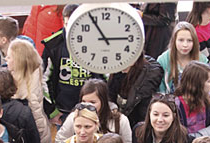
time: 2:54
